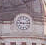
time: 9:14
